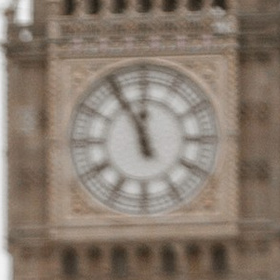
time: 11:55
